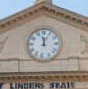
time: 11:57
